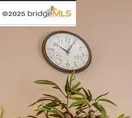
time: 10:04
